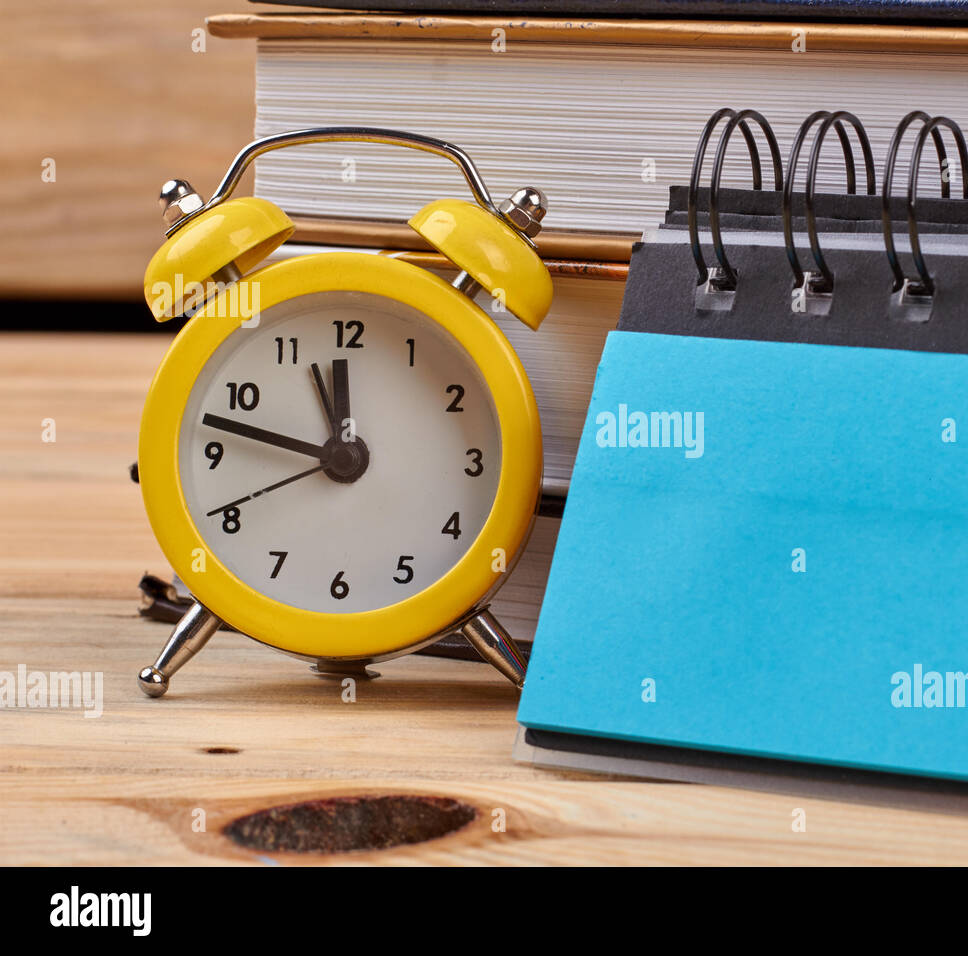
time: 11:47
